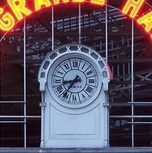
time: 8:36
